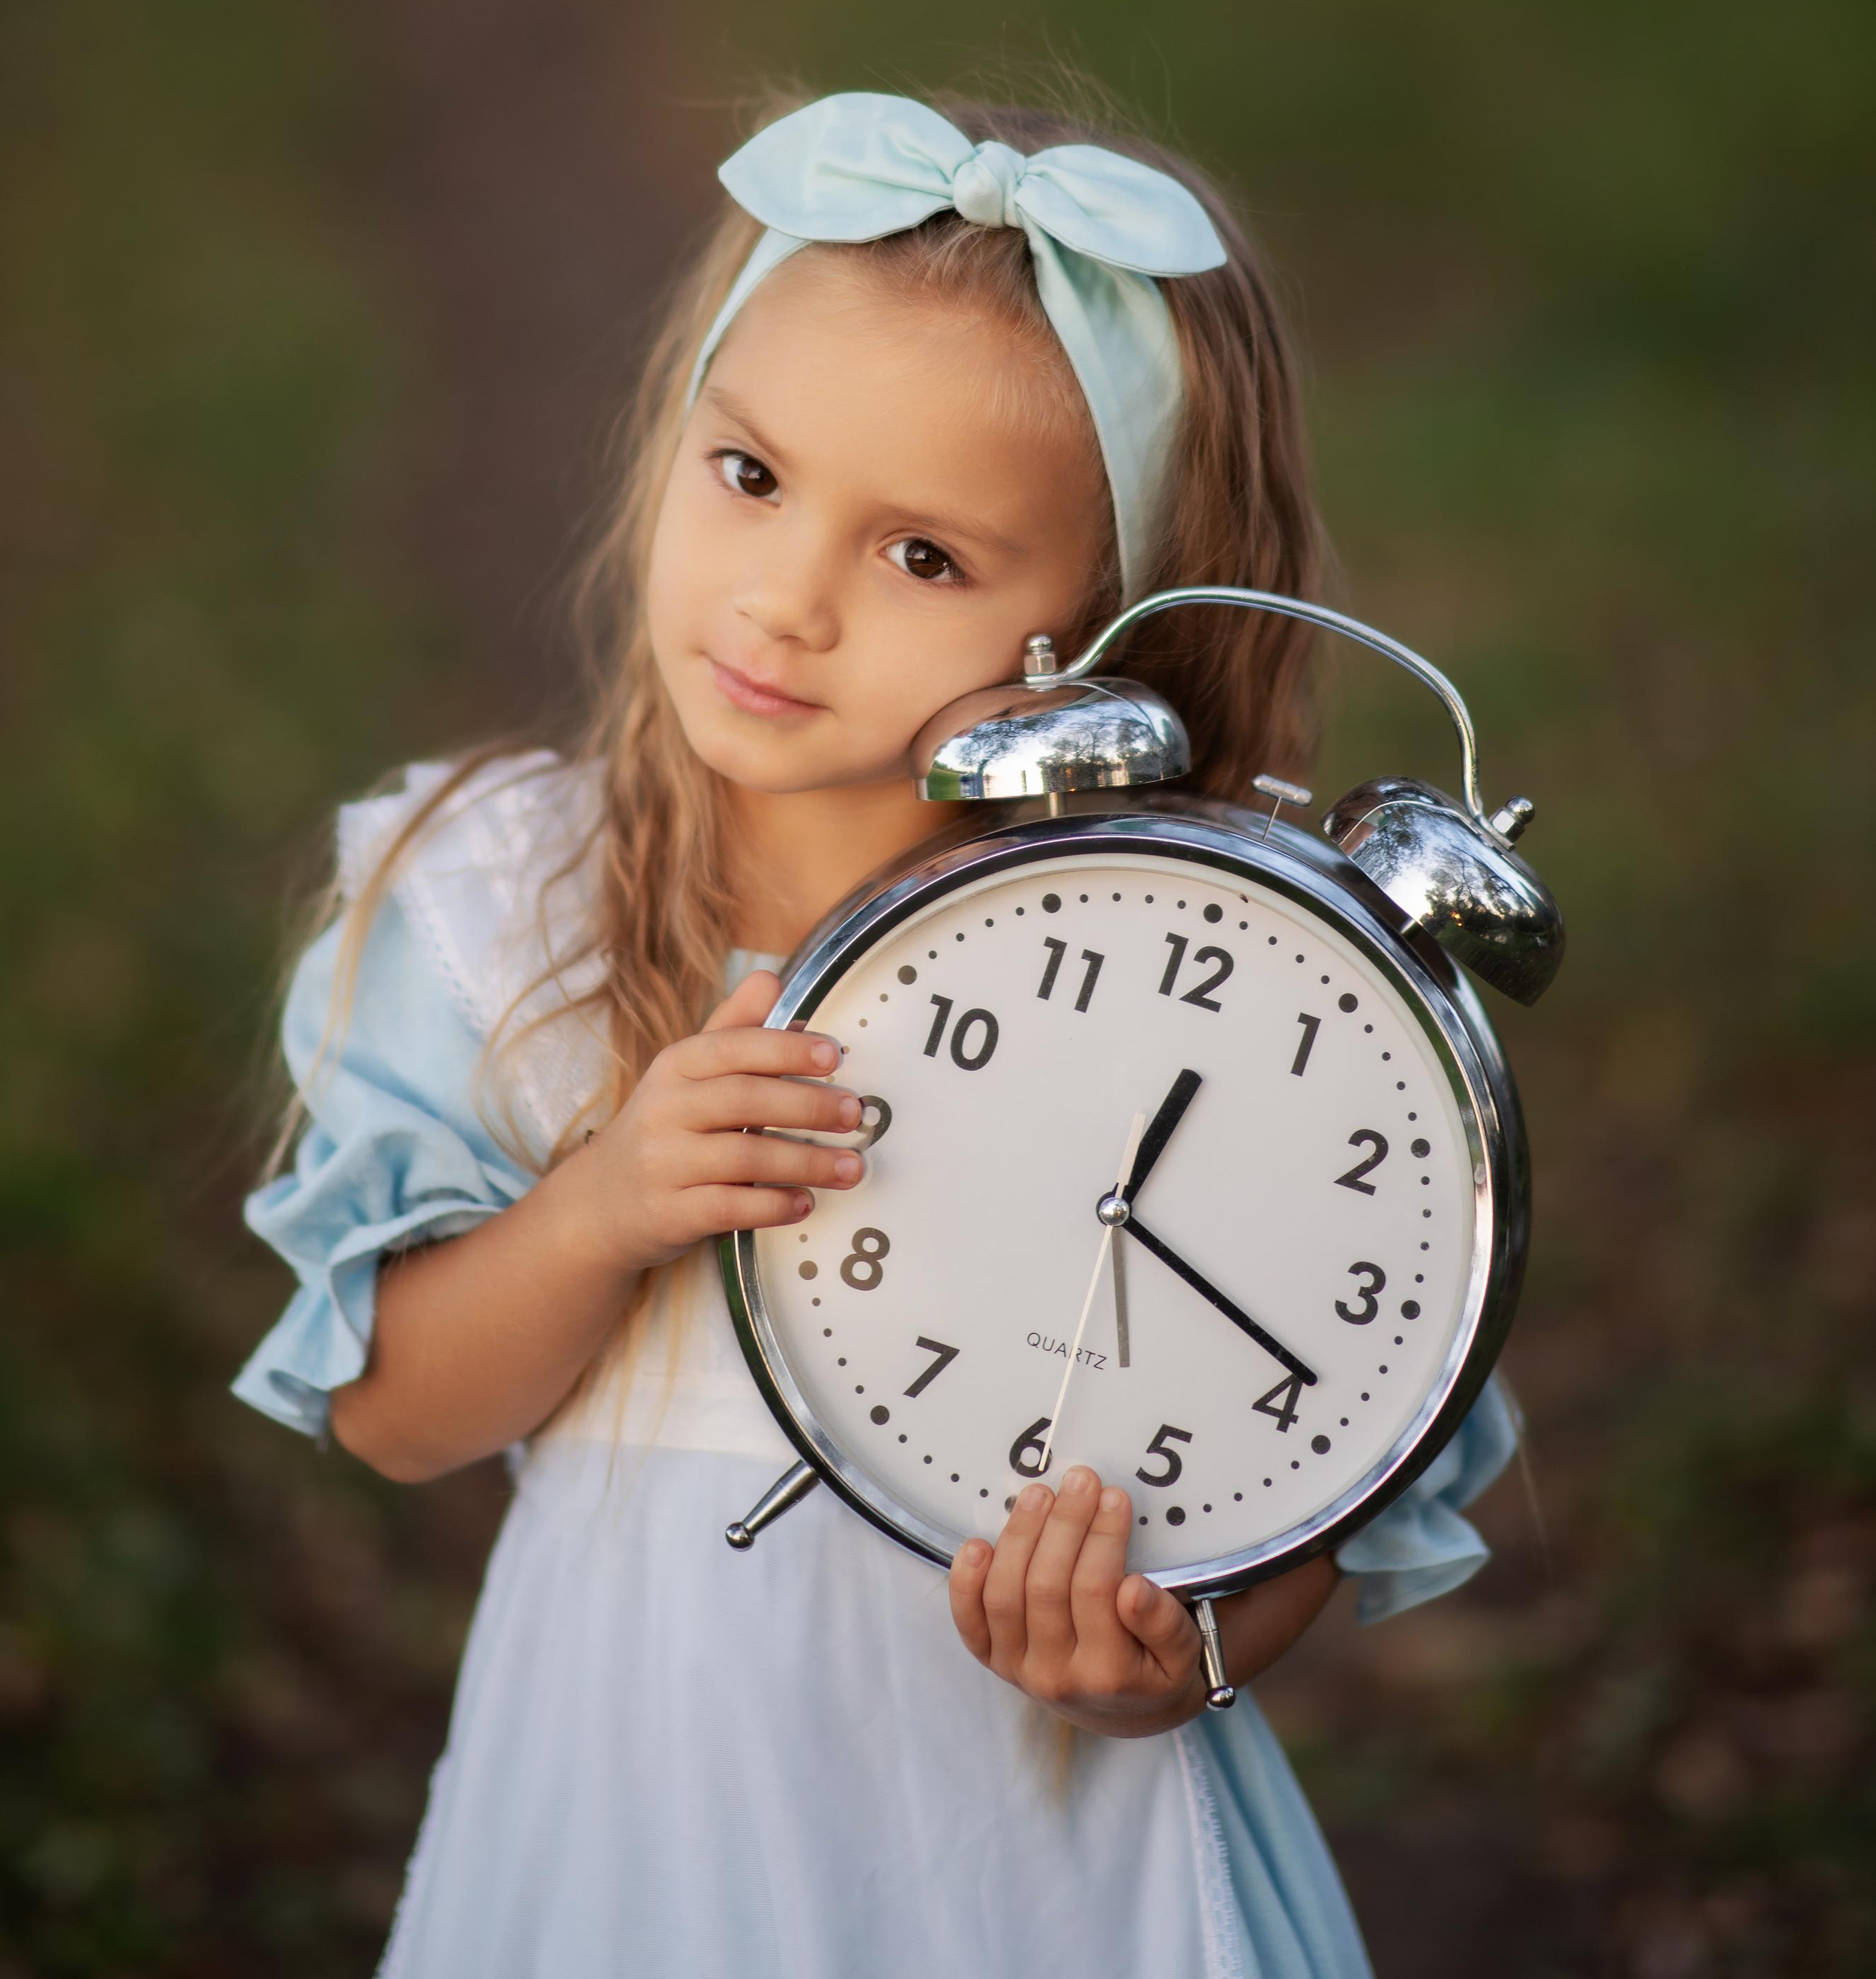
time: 12:18
